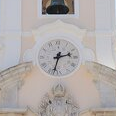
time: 2:33
